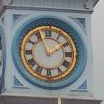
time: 1:56
